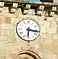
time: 6:16
